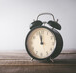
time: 11:58
